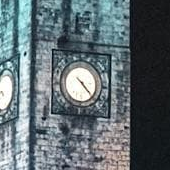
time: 4:22
